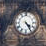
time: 4:24
